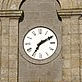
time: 7:10
